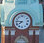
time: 7:46
